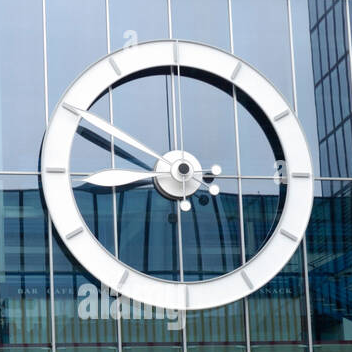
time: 8:49
